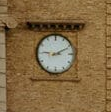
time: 9:10
